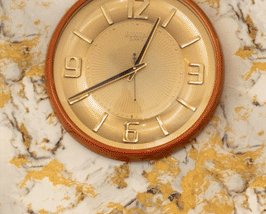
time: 12:40
